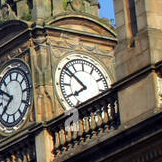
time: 7:51
